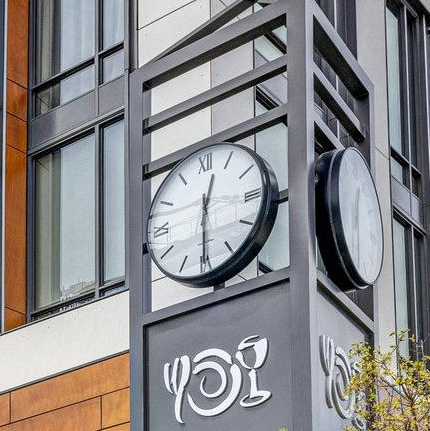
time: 12:30
